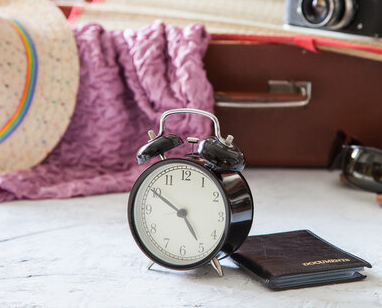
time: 4:50
